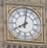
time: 8:01
